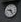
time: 9:25
